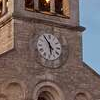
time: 5:54
